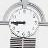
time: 8:45
